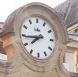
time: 7:44
